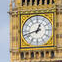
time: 12:42
